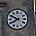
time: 7:49
